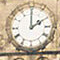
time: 2:00
